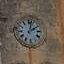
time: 2:02
